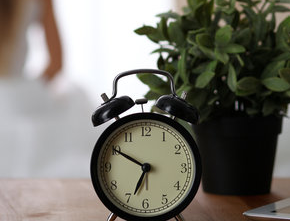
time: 6:50
